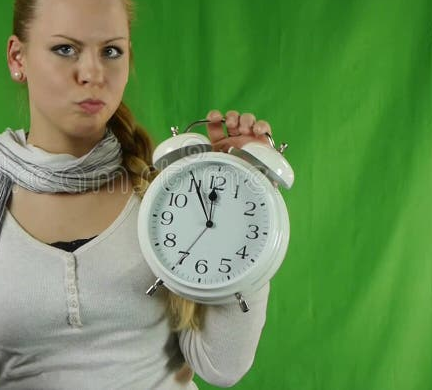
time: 11:55
